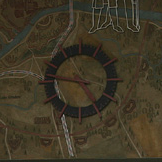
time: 4:46
